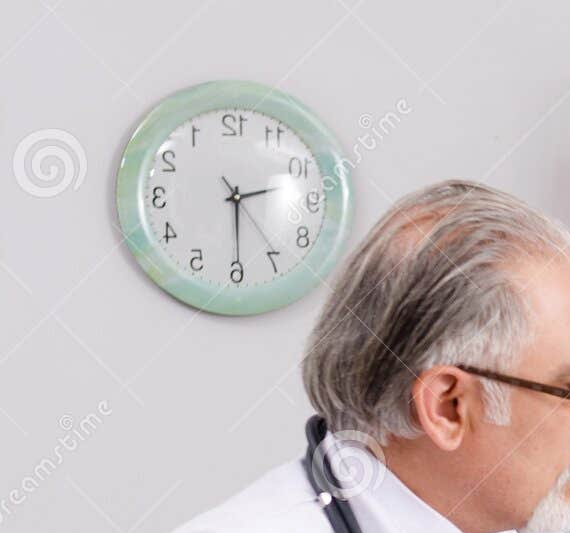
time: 2:29
